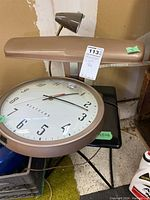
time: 2:18
